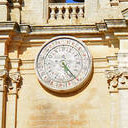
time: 5:23
